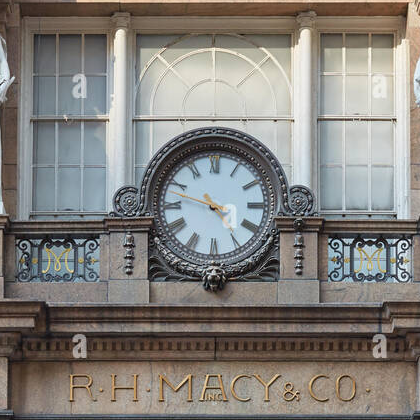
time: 3:47
